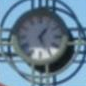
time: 1:26
